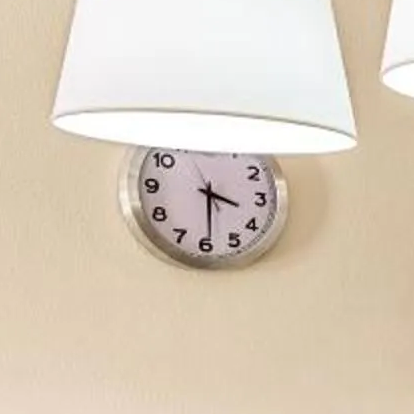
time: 3:29
